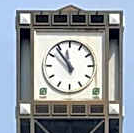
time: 11:53
